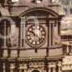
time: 10:22
